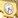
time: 3:32
